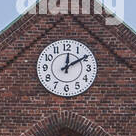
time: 12:09
